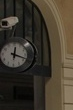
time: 12:18
